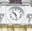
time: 10:28
